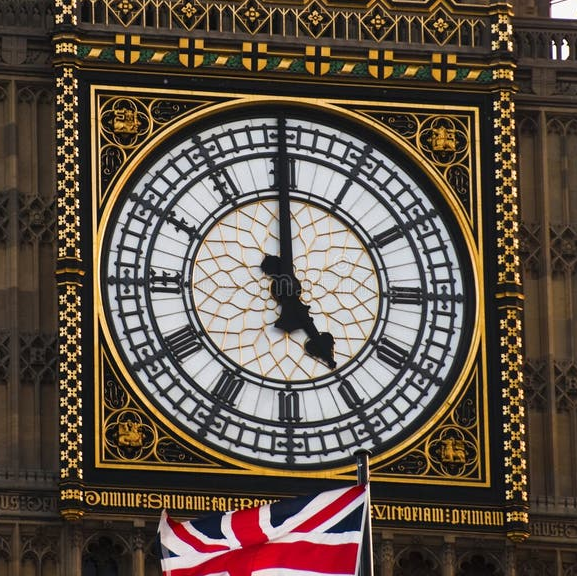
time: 4:59
